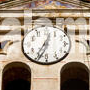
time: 12:34
